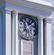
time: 11:07
